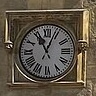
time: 11:03
